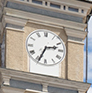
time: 2:34
